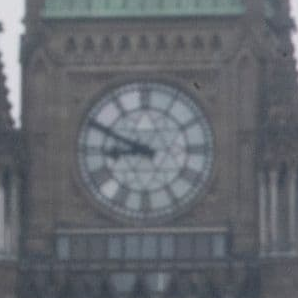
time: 8:49
